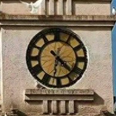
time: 4:31
